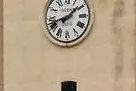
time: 1:42
